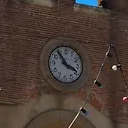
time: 3:54
